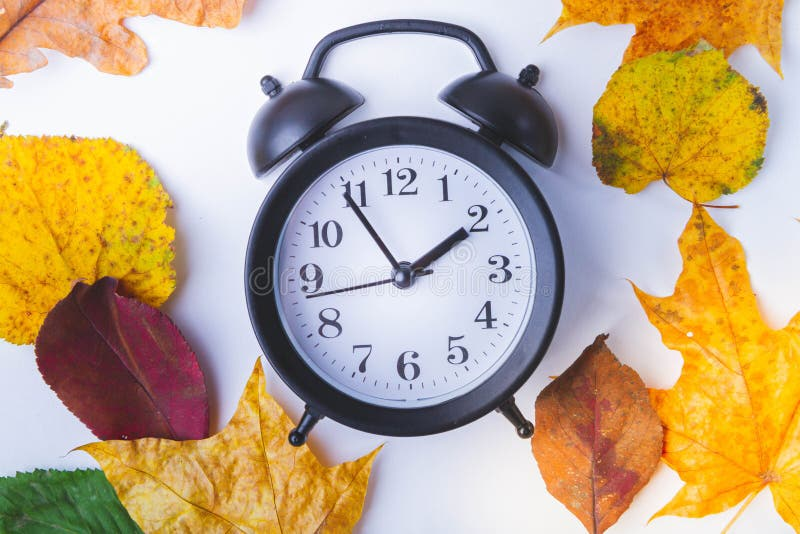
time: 1:54
